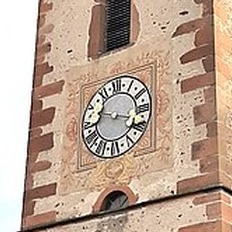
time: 9:17
